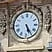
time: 5:24
